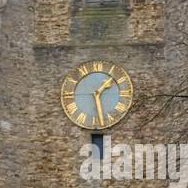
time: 1:27
